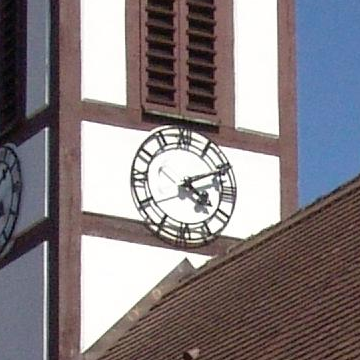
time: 4:10
